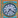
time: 7:20
